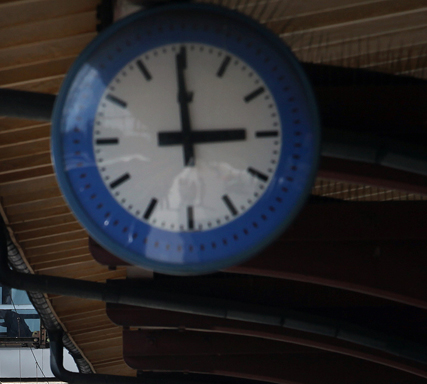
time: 2:59
